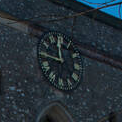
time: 11:46
